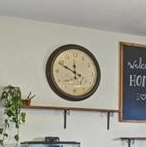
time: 11:49
